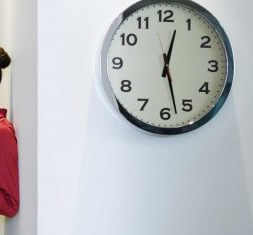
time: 12:27
